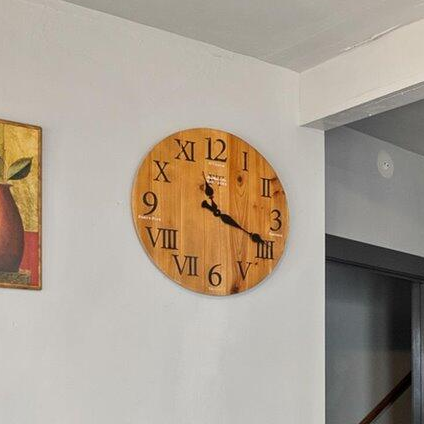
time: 11:19
